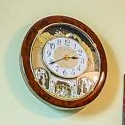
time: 2:40
